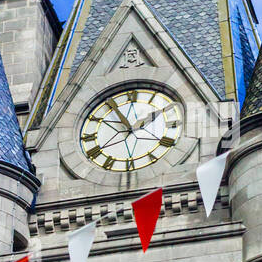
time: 1:55
